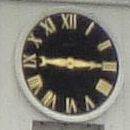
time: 9:15
